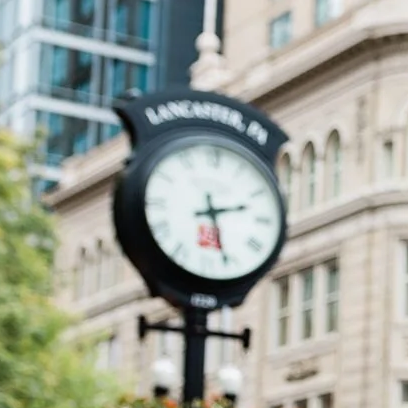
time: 2:26
